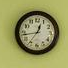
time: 12:42
